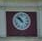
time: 10:52
